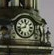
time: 12:42
